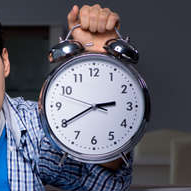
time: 2:40
